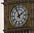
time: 1:56
